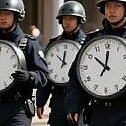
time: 11:51
